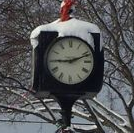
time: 9:11
